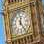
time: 12:23
